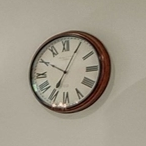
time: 7:04
